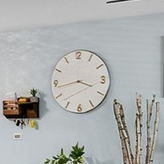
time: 3:43
